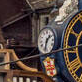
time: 1:32
